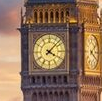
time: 4:07
